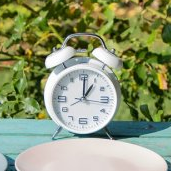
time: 1:00
